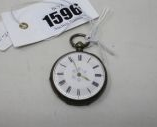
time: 3:56
